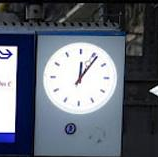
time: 12:06
